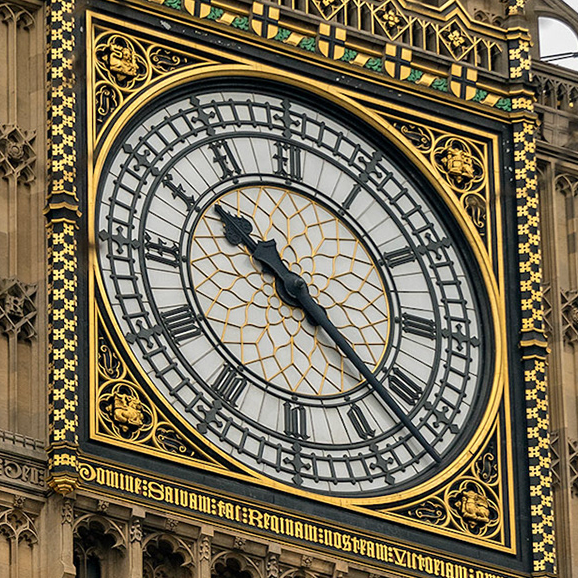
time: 10:21
